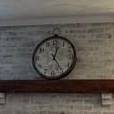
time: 12:24
